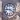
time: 9:20
